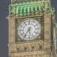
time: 5:35
